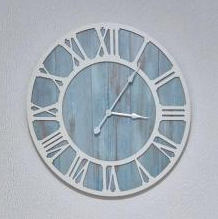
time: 3:06
